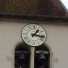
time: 1:16
